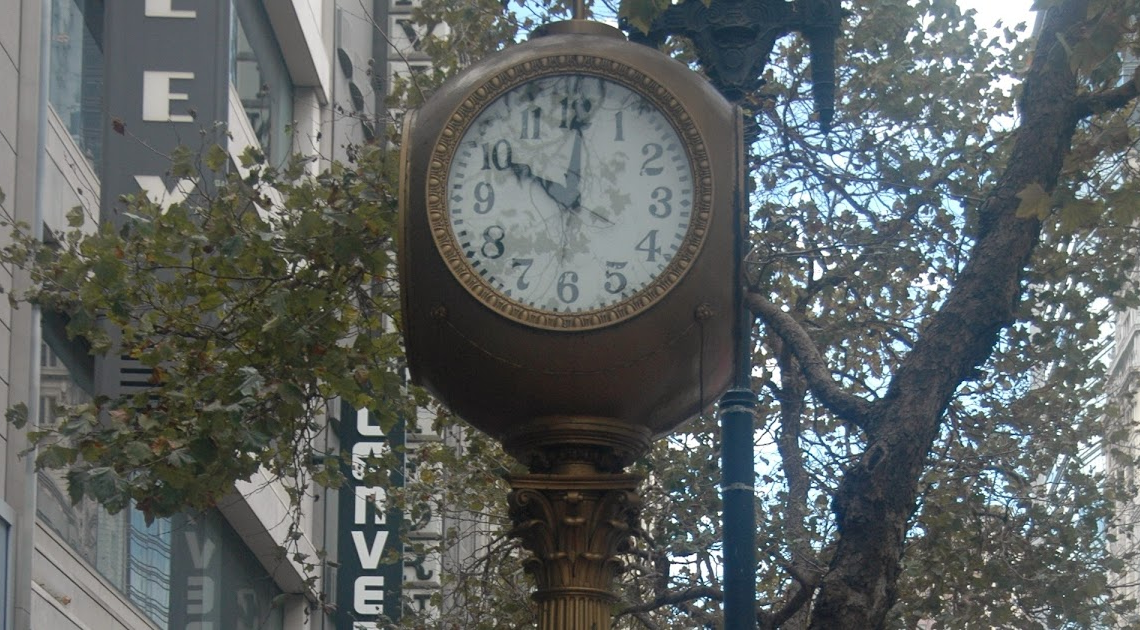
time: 10:00
